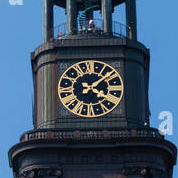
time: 4:07
